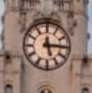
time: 5:15
